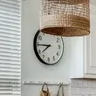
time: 7:45
